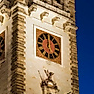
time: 11:59
